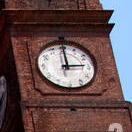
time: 3:00
